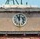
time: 11:55
